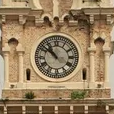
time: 10:51
